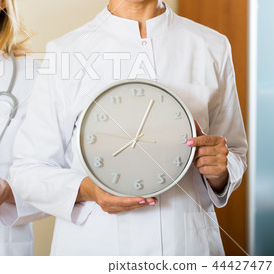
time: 8:03
